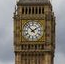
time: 1:52
